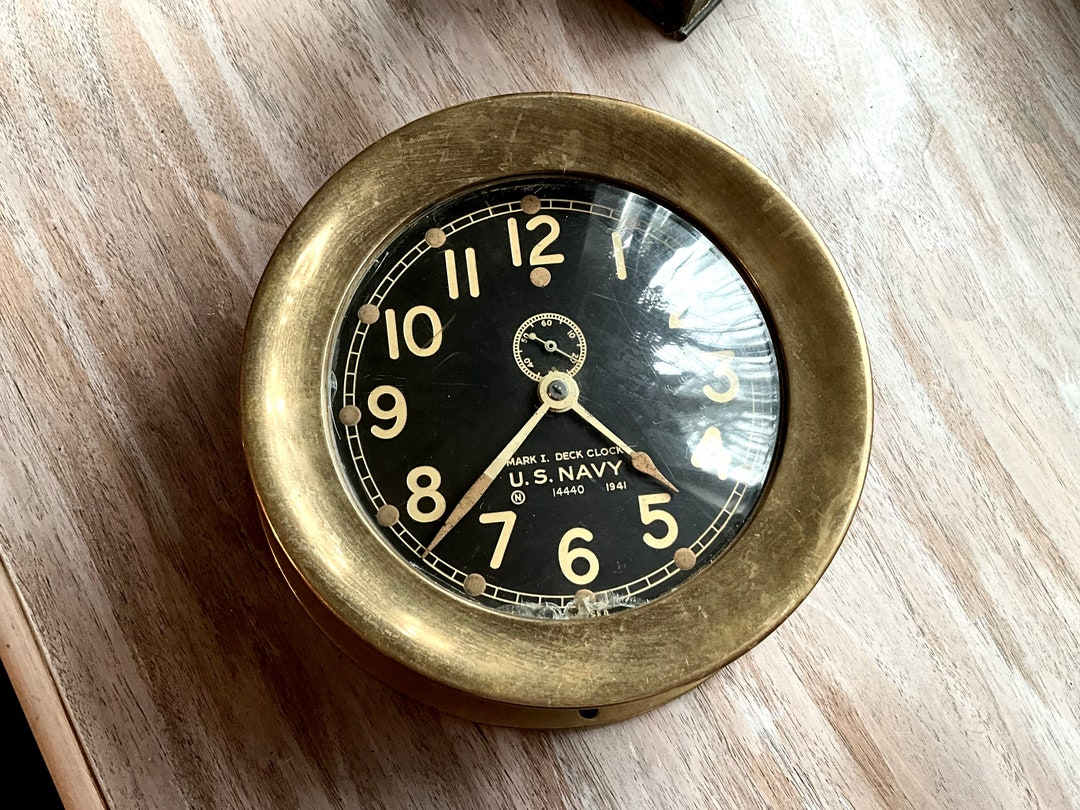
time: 4:37
